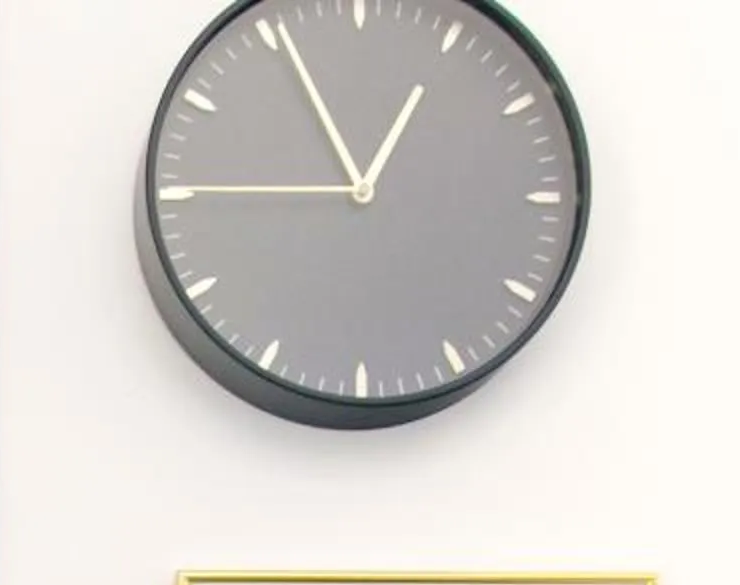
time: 12:55
